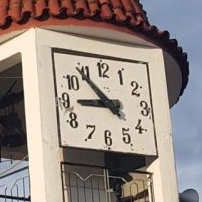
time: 8:53
